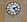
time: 2:23
